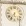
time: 5:36
